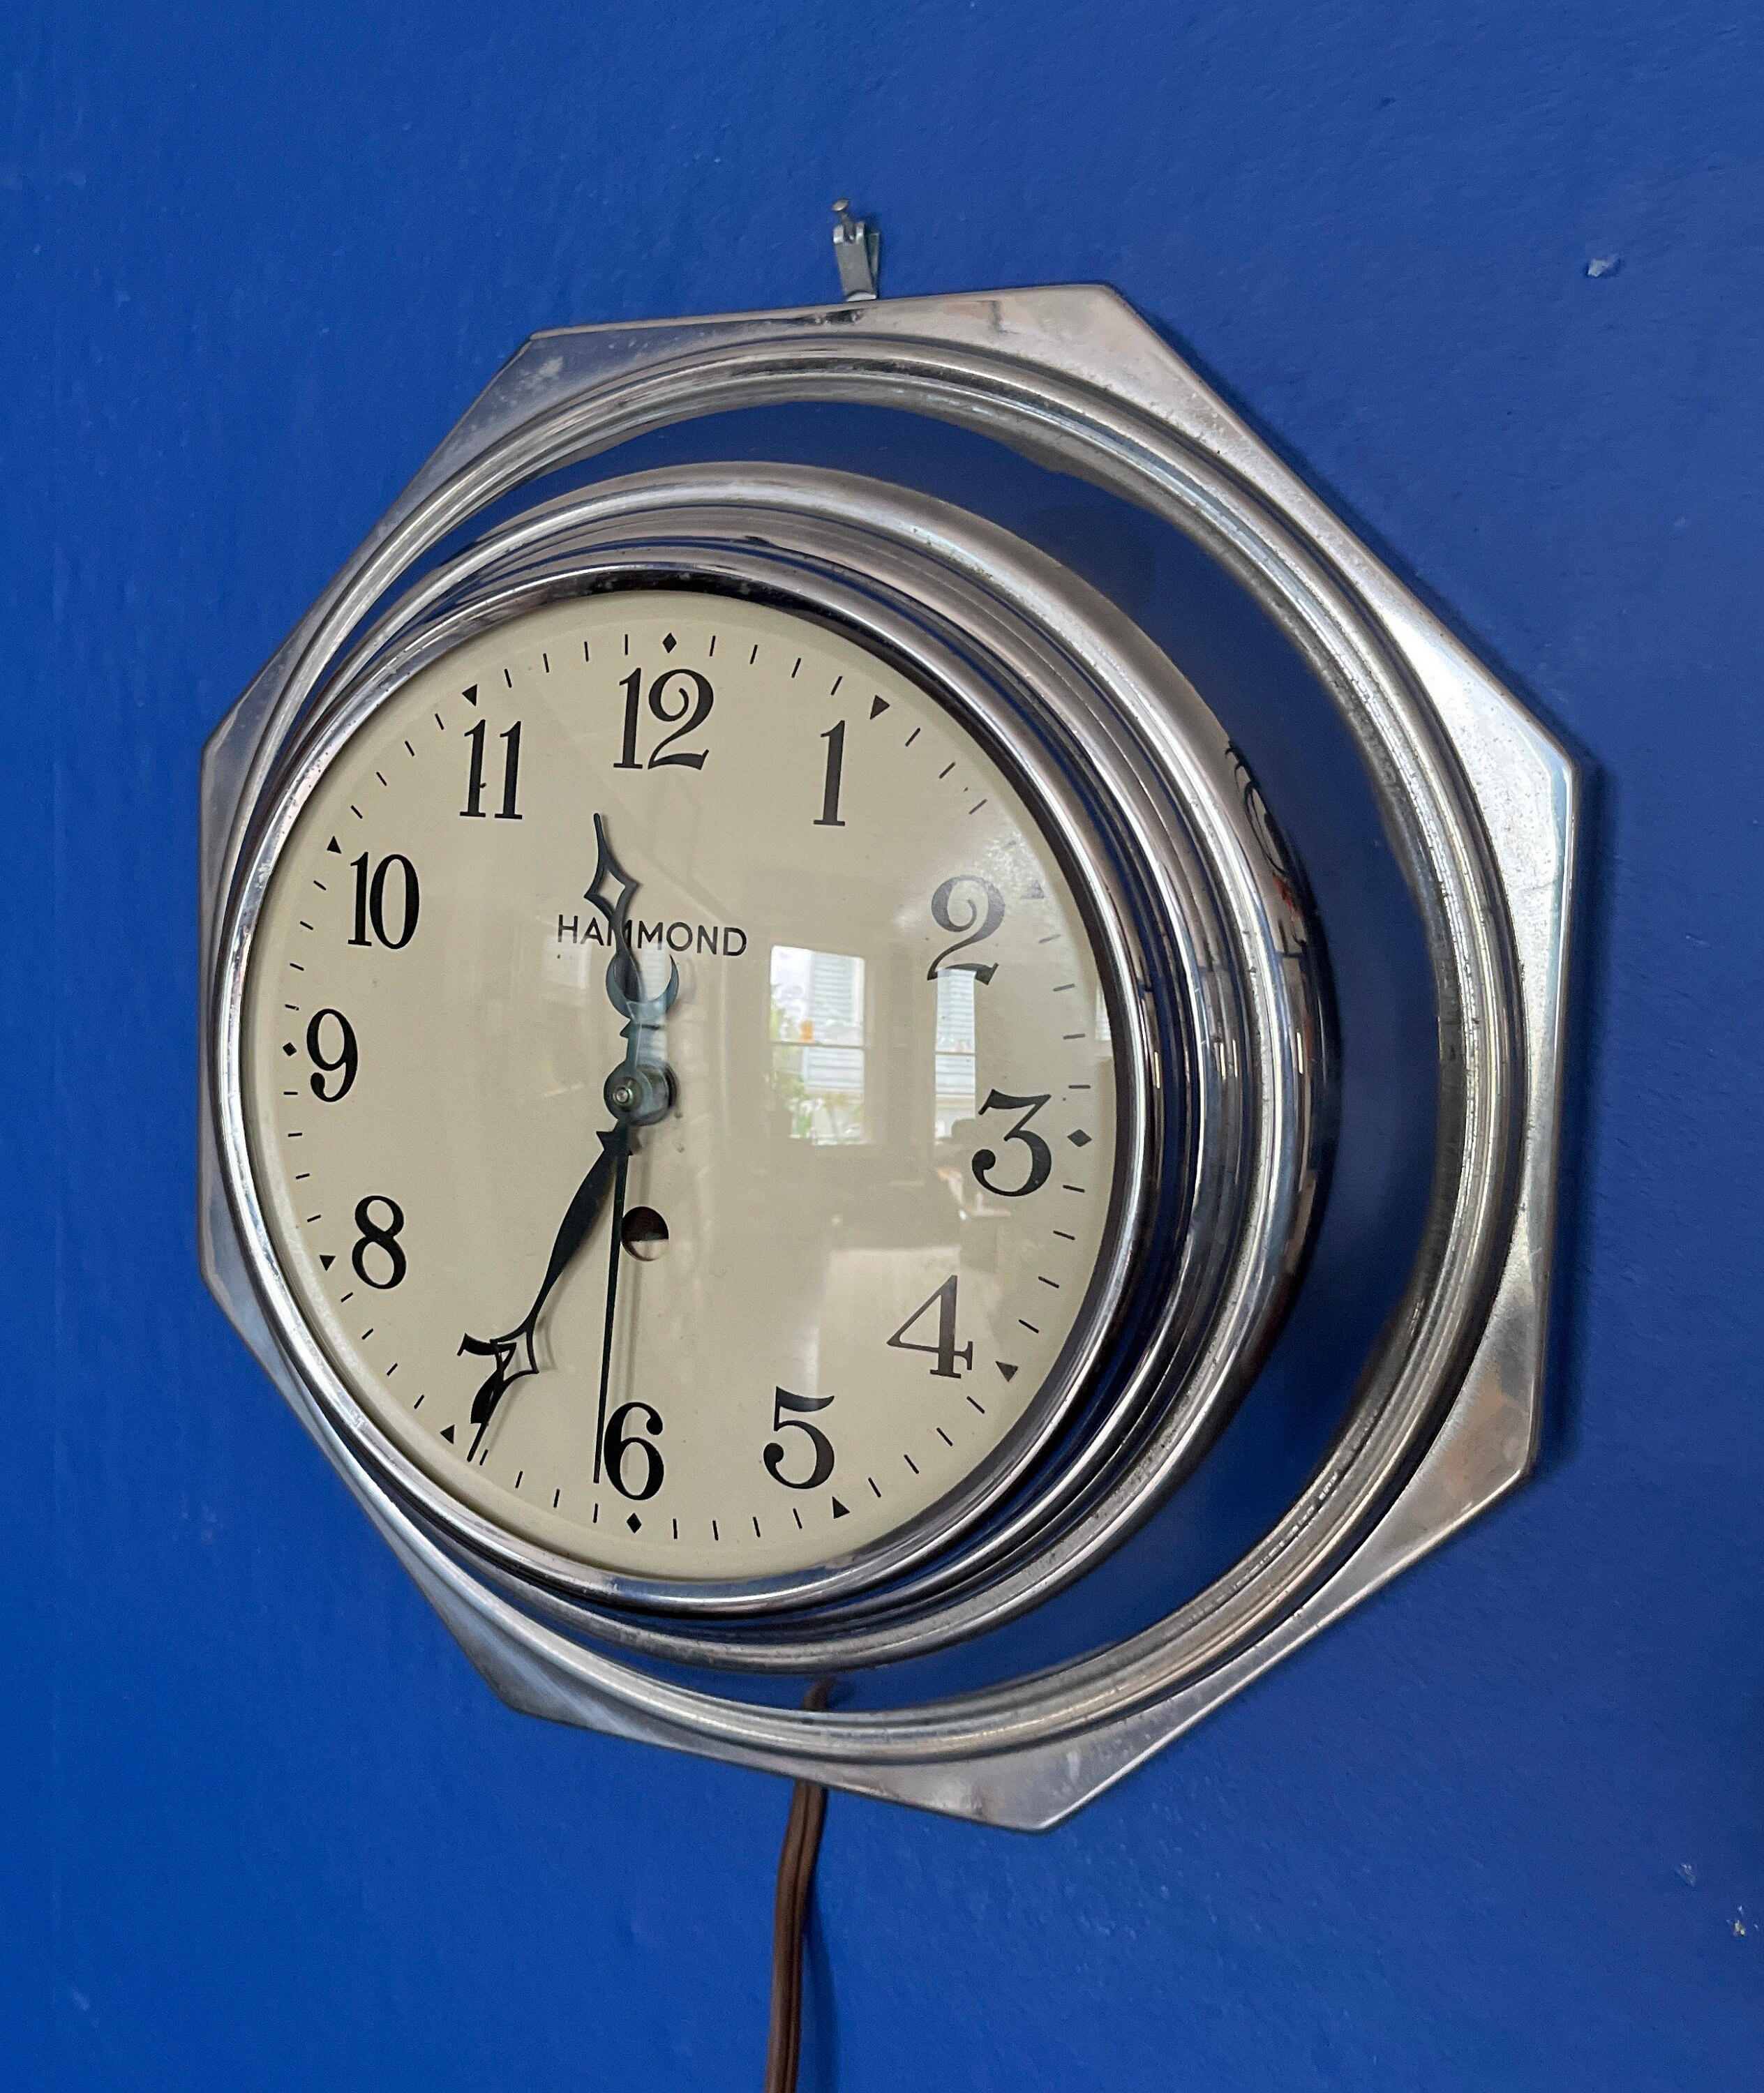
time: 11:34
